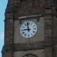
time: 8:58
